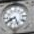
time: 8:26
